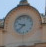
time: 9:38
